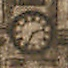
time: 2:34
